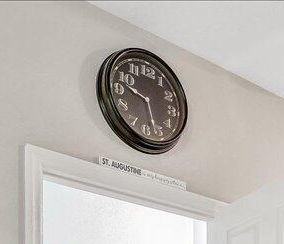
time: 9:26
